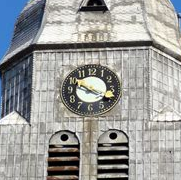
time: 3:48
